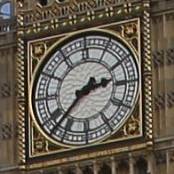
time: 2:37
